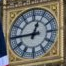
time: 12:45
